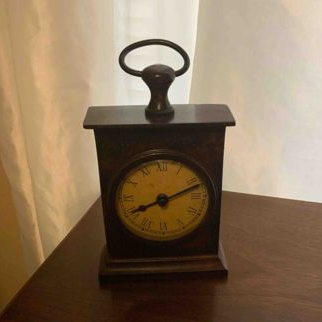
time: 8:11
